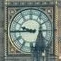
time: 9:44
